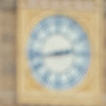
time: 2:43
